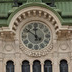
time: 11:51
